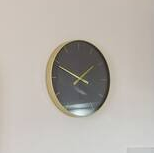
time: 1:49
